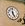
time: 4:59
